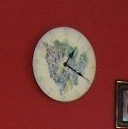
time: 1:19
